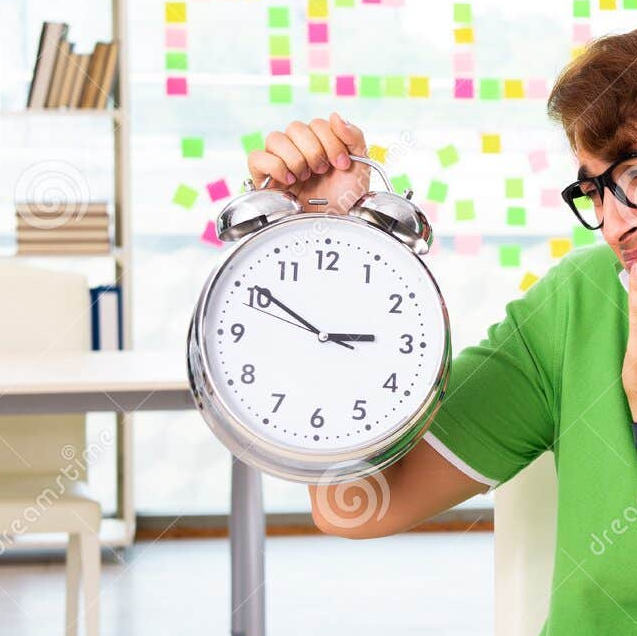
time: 2:50
